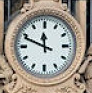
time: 11:48
